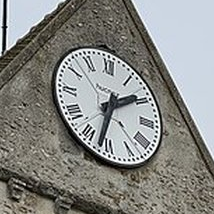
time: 1:32
